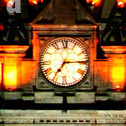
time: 7:14
